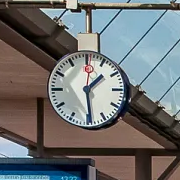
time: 1:29
